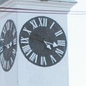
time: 4:16
